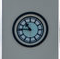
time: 10:45
